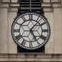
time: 5:06
